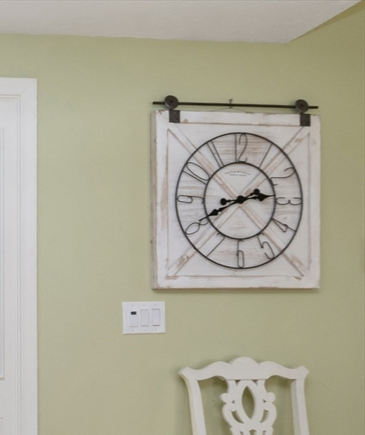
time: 2:40
